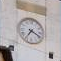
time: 7:18
